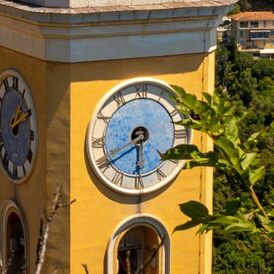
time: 5:40
